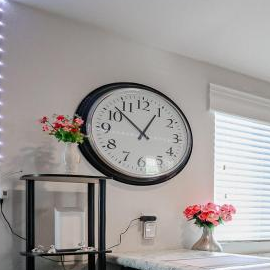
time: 12:52
